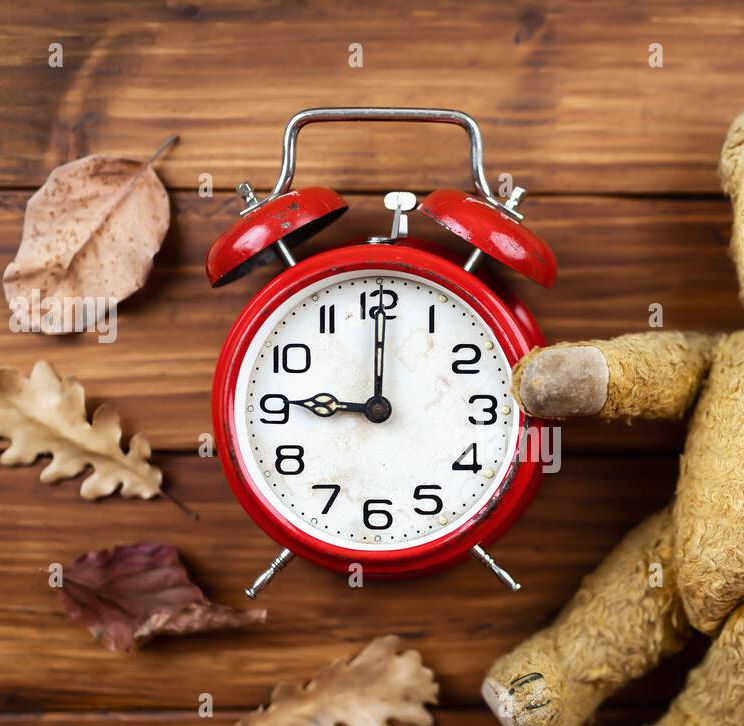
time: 9:00
